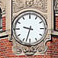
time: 9:32
